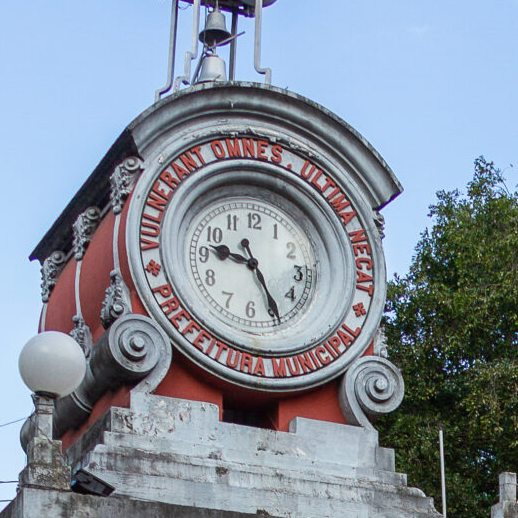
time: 9:25
